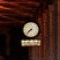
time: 7:37
